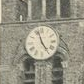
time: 4:57
